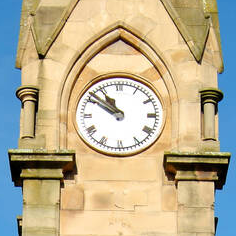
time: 10:50
